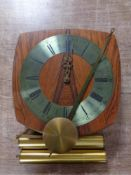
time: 12:33
